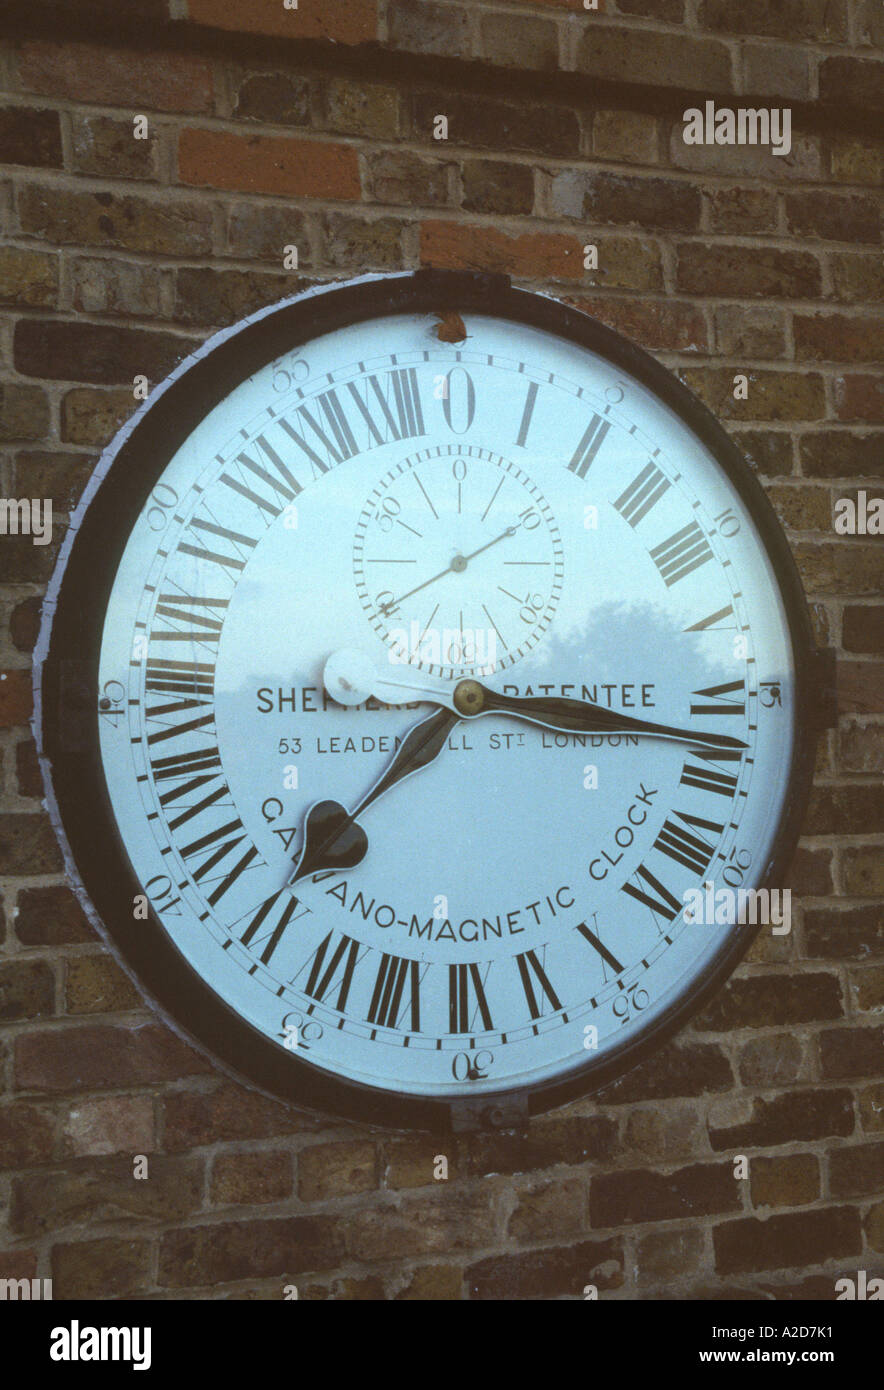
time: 7:15
